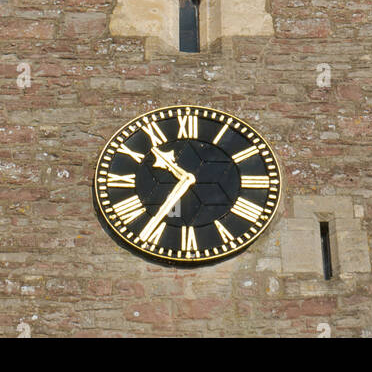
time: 10:35
